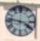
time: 3:46
